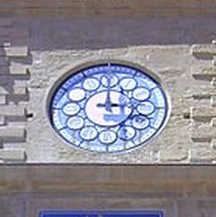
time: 3:00
